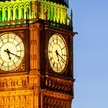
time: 5:18
